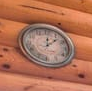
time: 12:07
